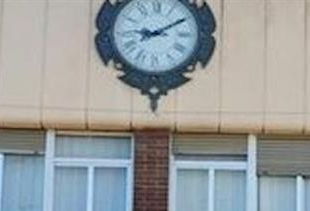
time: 9:10
